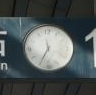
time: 11:34
